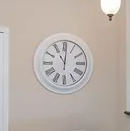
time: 11:00
